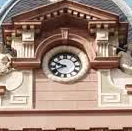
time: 9:40
